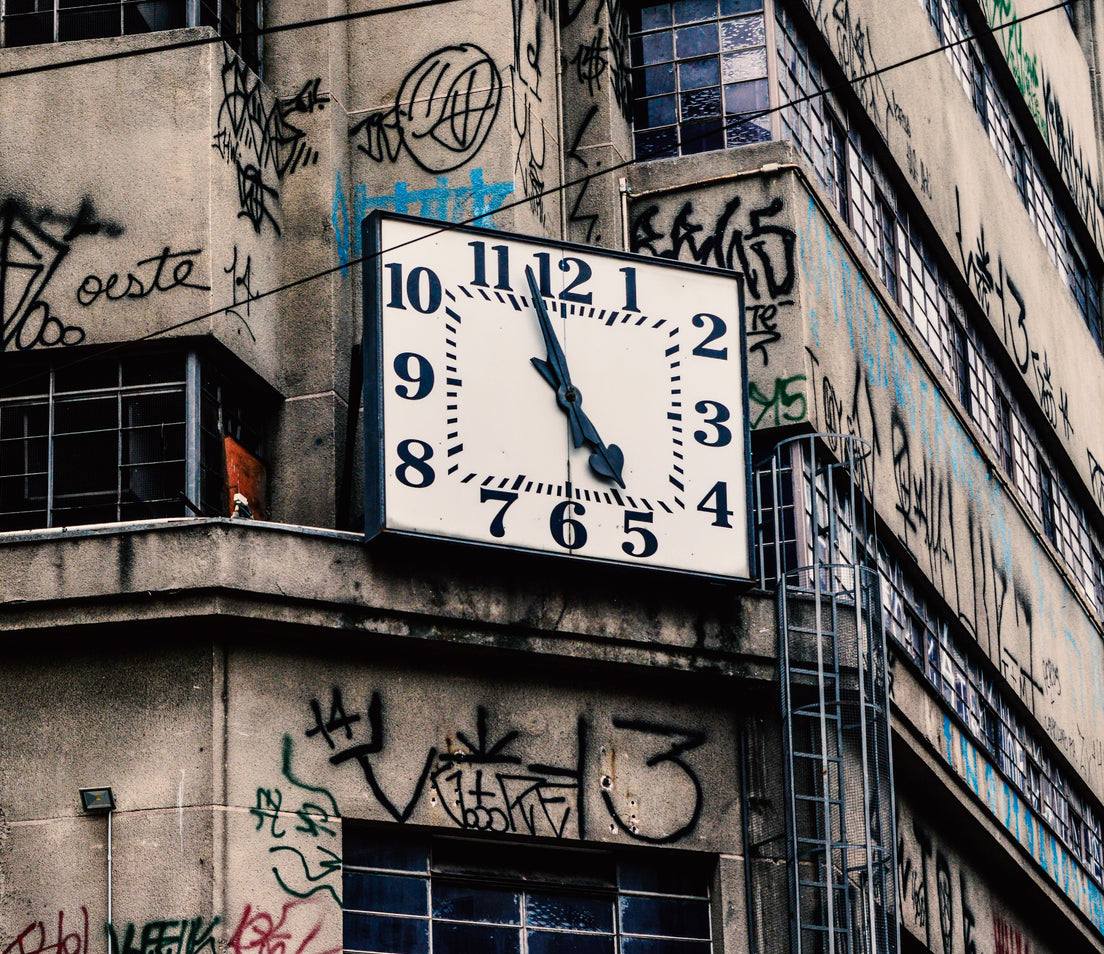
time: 4:57
